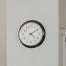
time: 4:09
